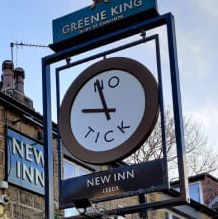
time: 8:56
